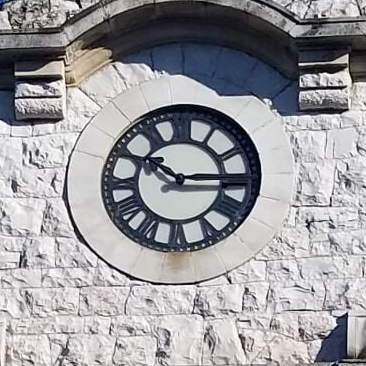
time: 10:14
